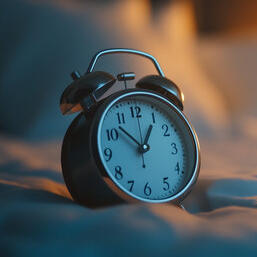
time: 12:52
